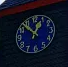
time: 12:52
